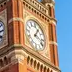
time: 1:18
